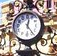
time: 12:23
